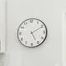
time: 5:10
